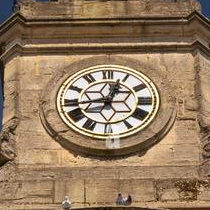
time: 12:43
